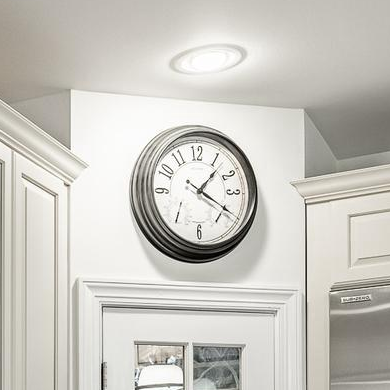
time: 1:20
